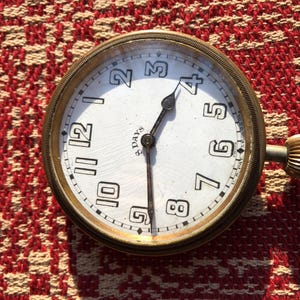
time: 12:28
